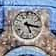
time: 5:16
